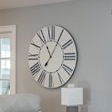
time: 11:05
